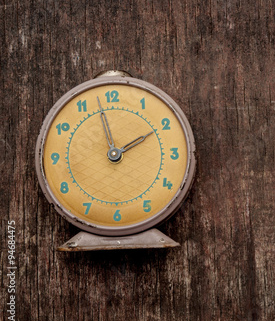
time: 1:57
